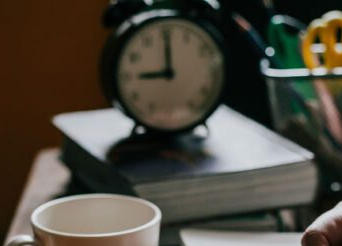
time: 9:00
